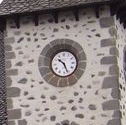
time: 10:26
